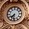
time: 7:32
